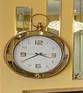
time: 3:40
